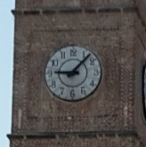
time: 9:07
